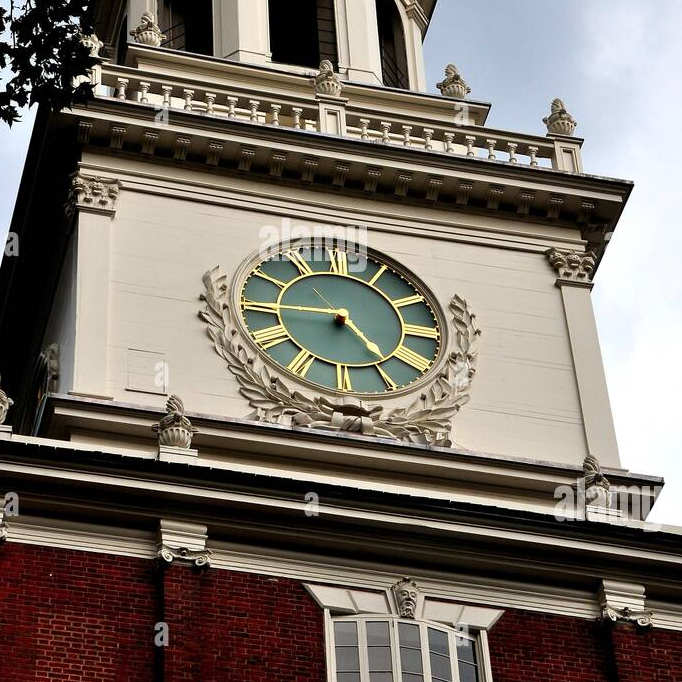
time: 4:45
